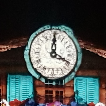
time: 4:01
